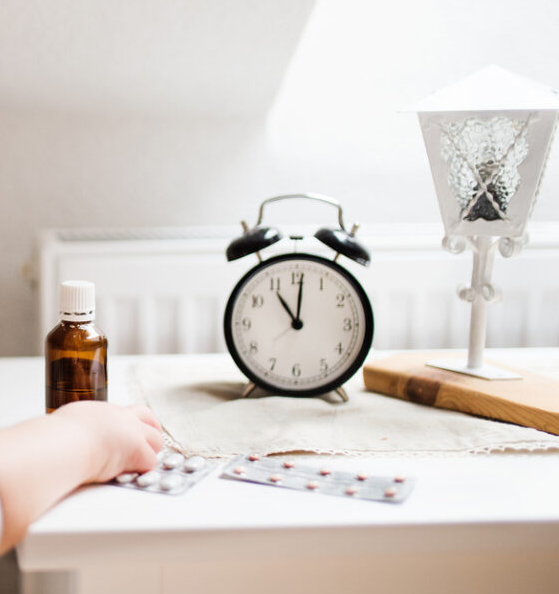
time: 11:01
